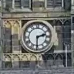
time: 2:30
